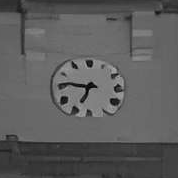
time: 6:46
